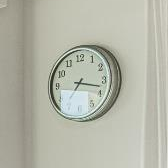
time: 7:17
